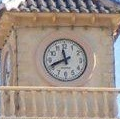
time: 11:41
